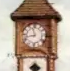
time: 11:42
